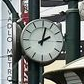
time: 2:02
